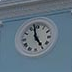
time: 4:57
